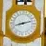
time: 8:12
